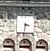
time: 3:31
